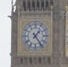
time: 1:23
